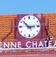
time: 2:52
